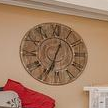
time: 12:33
